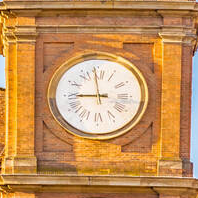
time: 8:58
